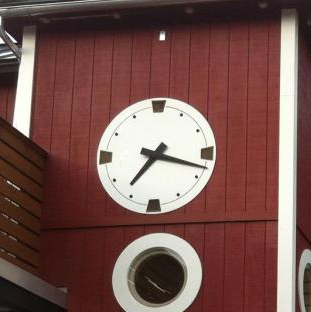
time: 7:17
